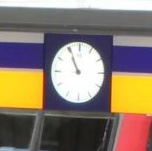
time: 10:55
